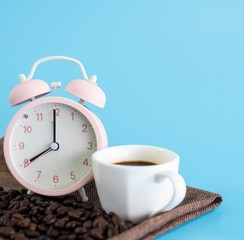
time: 8:00
